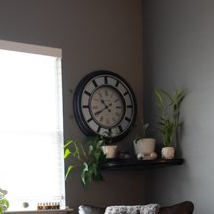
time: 10:40
